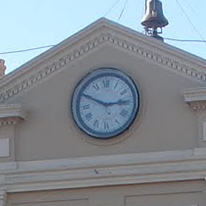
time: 2:49
